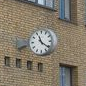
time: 11:21
